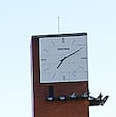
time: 7:10
